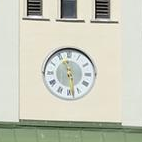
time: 11:28
